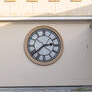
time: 2:38
